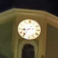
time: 8:36
